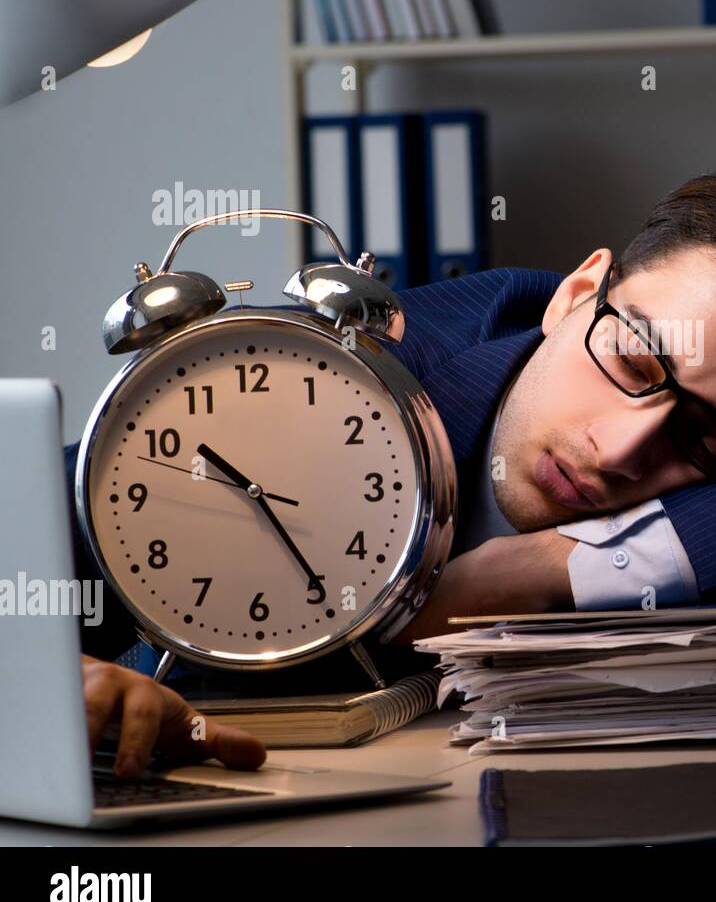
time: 10:24
